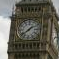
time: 1:38
